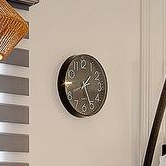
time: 1:26
